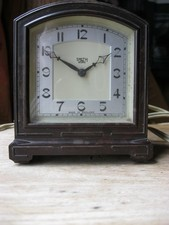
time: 1:50
